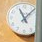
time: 11:07
